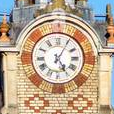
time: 5:05
